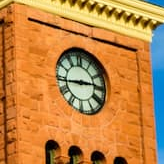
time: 2:43
